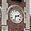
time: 2:32
